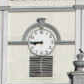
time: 8:45
